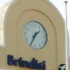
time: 1:34
